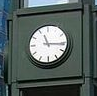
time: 11:16
